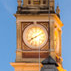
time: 8:09
